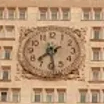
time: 7:28
